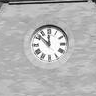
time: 11:52
